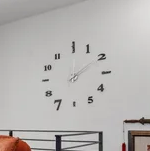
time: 12:09
